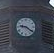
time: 9:21
